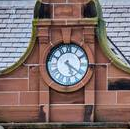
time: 5:20
